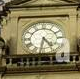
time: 4:31
